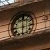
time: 5:59
